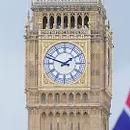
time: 1:48
